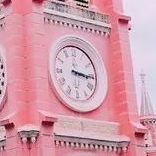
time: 3:15
